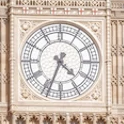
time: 4:33
